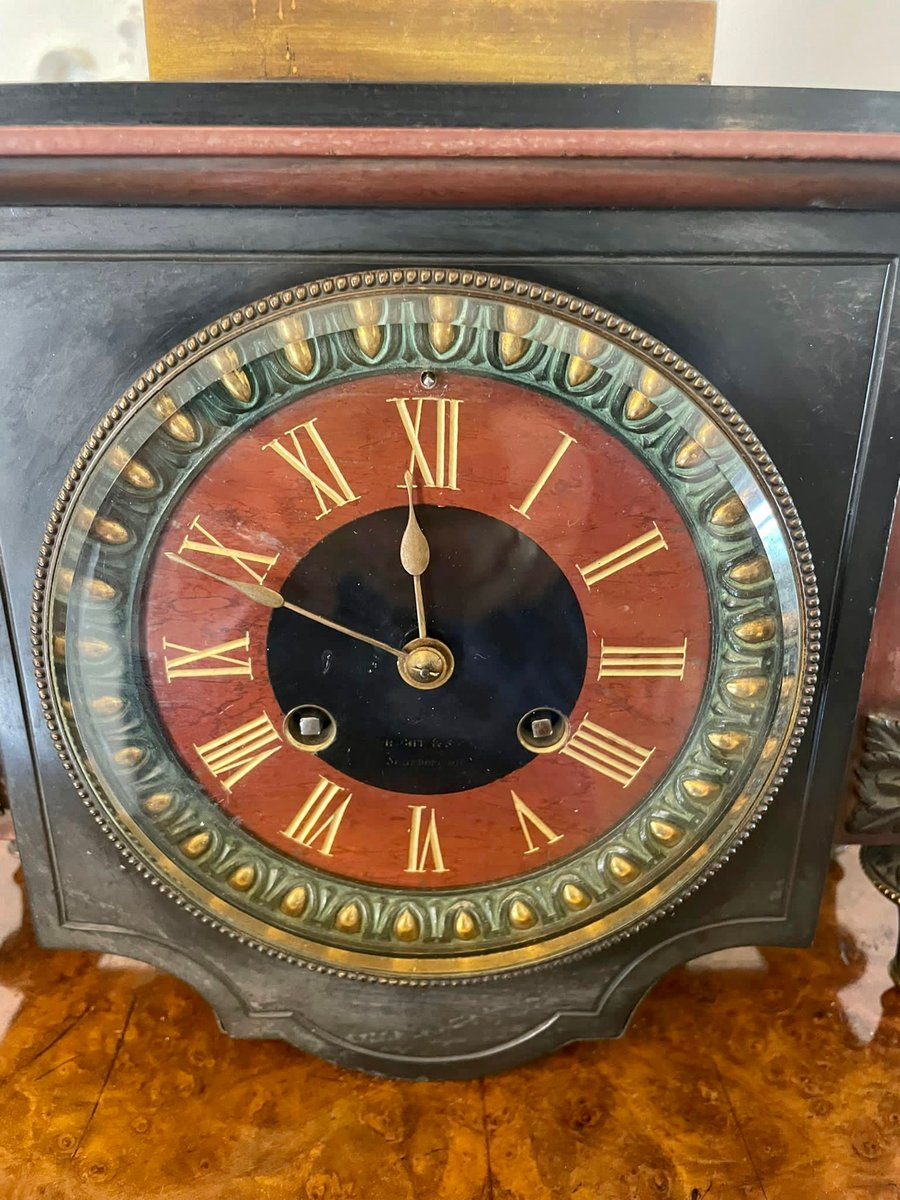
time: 11:48
